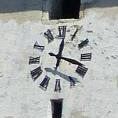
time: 12:18
